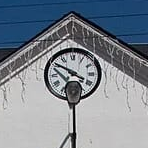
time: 6:50
